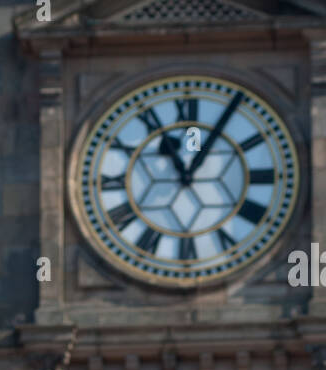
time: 11:05
